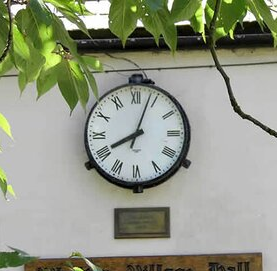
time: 8:03
